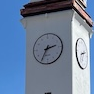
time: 2:35
